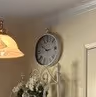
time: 9:42
